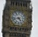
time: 4:42
